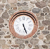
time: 5:26
